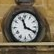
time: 11:19
